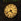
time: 4:41
